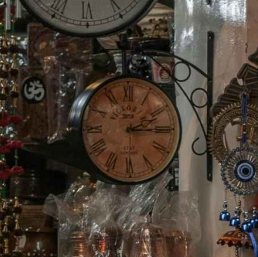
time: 2:15
